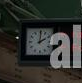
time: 2:00
